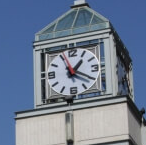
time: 1:19
